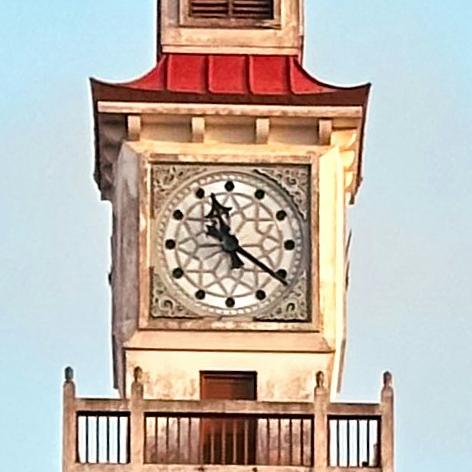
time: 11:20
